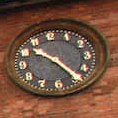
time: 10:24
